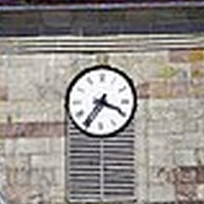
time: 3:36
